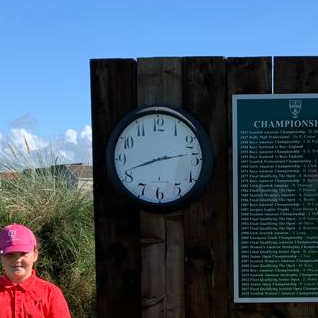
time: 2:41
